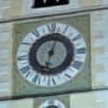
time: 12:33
